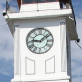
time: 9:08
